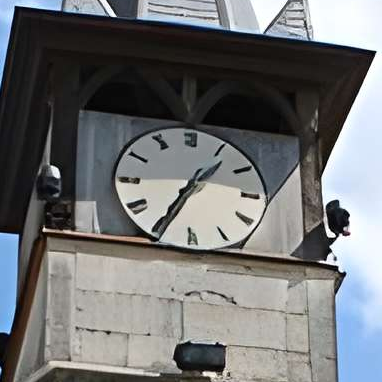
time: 1:35
